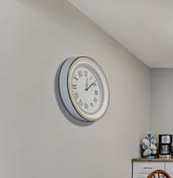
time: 12:09
